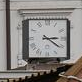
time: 3:20
